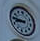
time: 8:45
